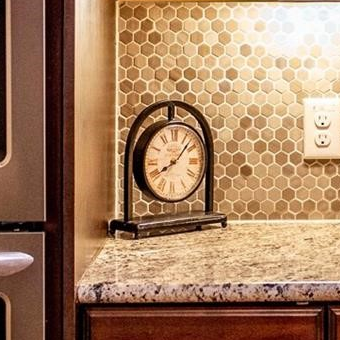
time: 8:07
